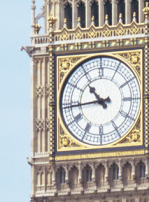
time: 10:43
